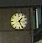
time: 1:26
